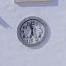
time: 11:32
